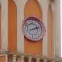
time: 2:11
